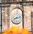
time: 8:12
